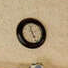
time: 11:25
